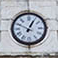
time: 12:49
